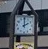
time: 2:00
